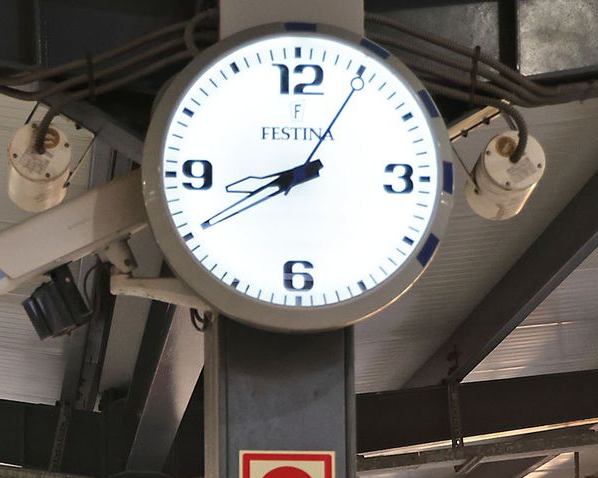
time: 8:40
